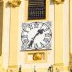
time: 1:35
